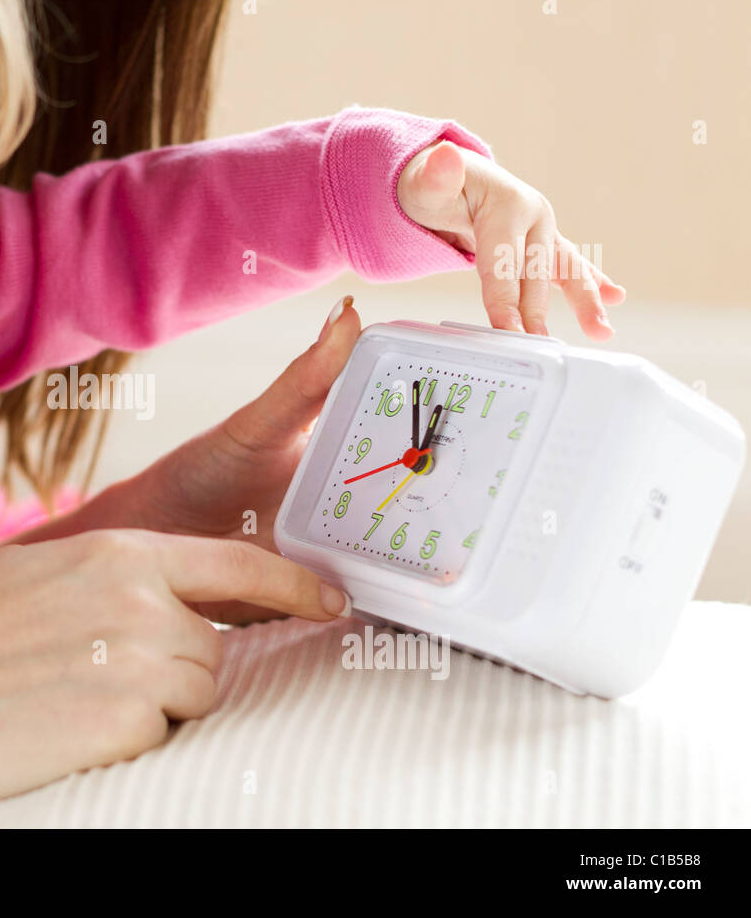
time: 11:55
